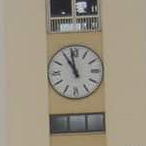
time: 10:58
